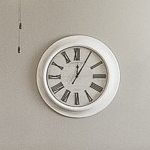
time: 12:04
